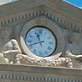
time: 11:41
